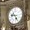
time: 9:25
